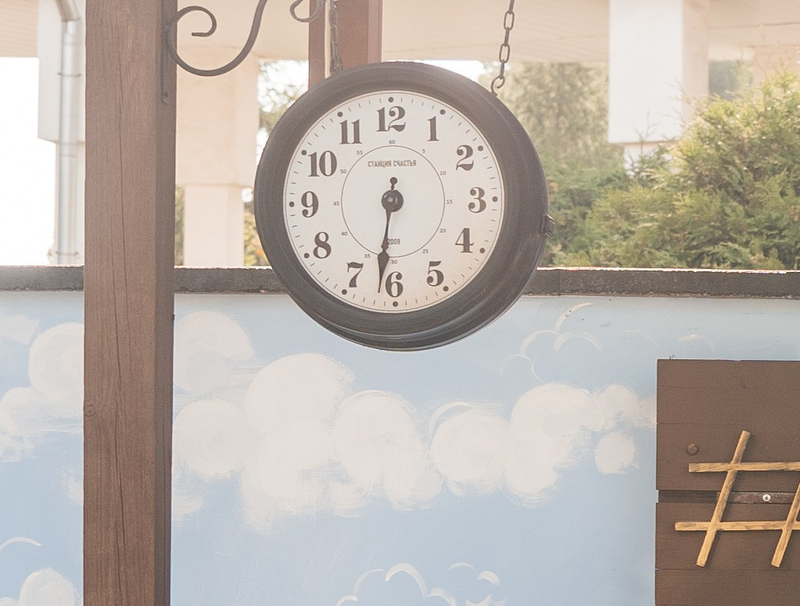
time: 6:31
